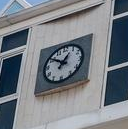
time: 12:50
